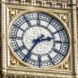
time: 2:36
